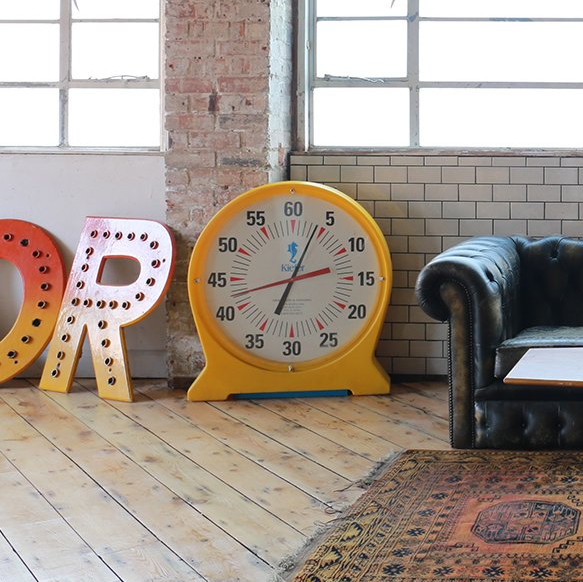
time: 7:03
